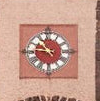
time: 10:46
